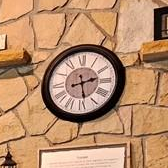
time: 2:28
